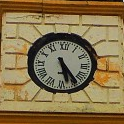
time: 5:23
